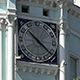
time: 10:21
